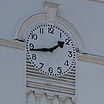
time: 1:43
